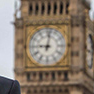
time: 9:01
